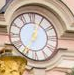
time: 7:04
